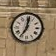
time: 7:01
